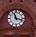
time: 11:17
